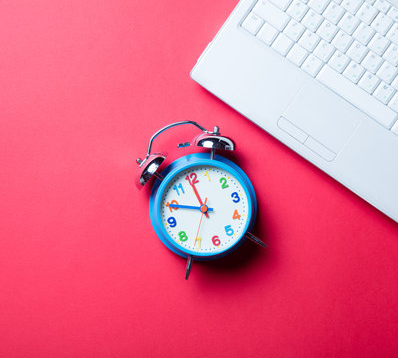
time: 11:48
